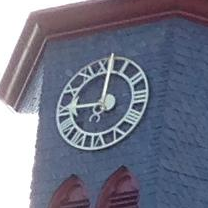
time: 9:01
